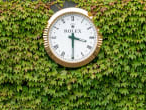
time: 3:29
